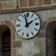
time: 1:57
